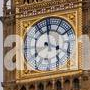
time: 3:40
